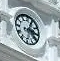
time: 3:04
